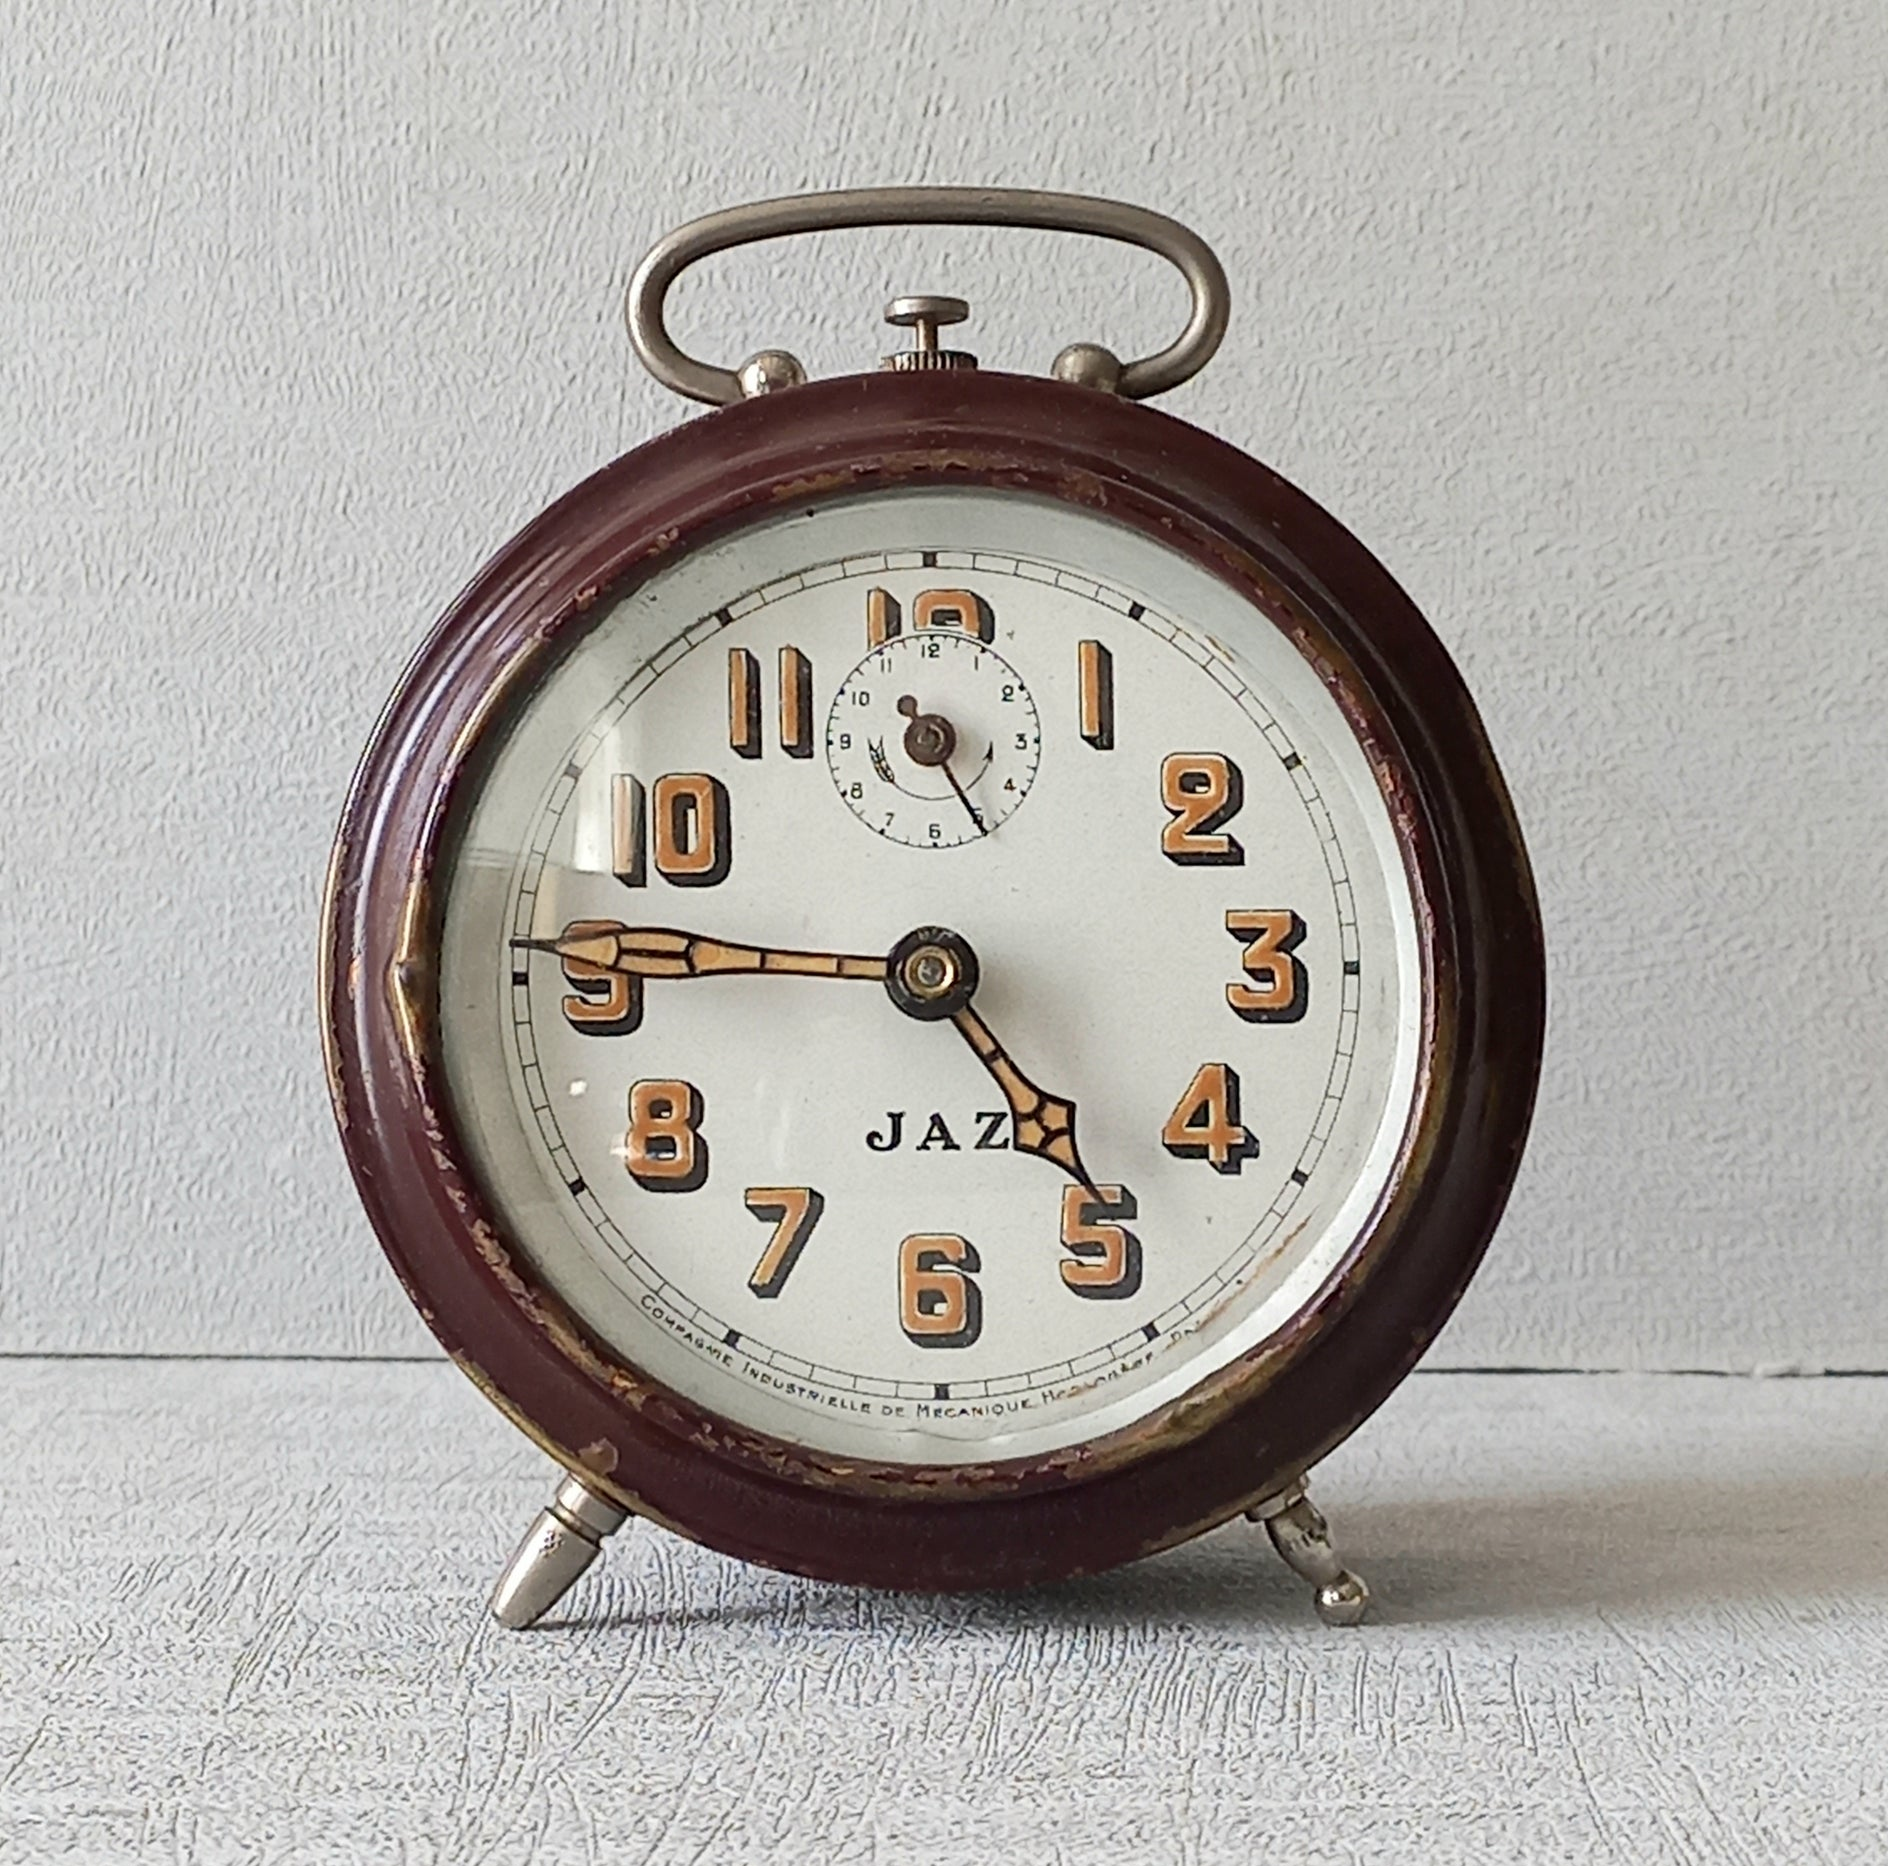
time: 4:45
